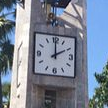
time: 2:00
